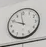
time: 11:49
